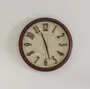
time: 11:27
